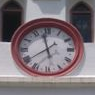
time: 7:58
